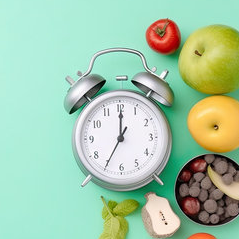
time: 7:00
